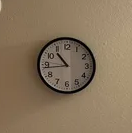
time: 10:43
